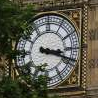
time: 3:18
